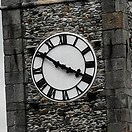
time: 3:50
